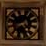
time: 2:23
